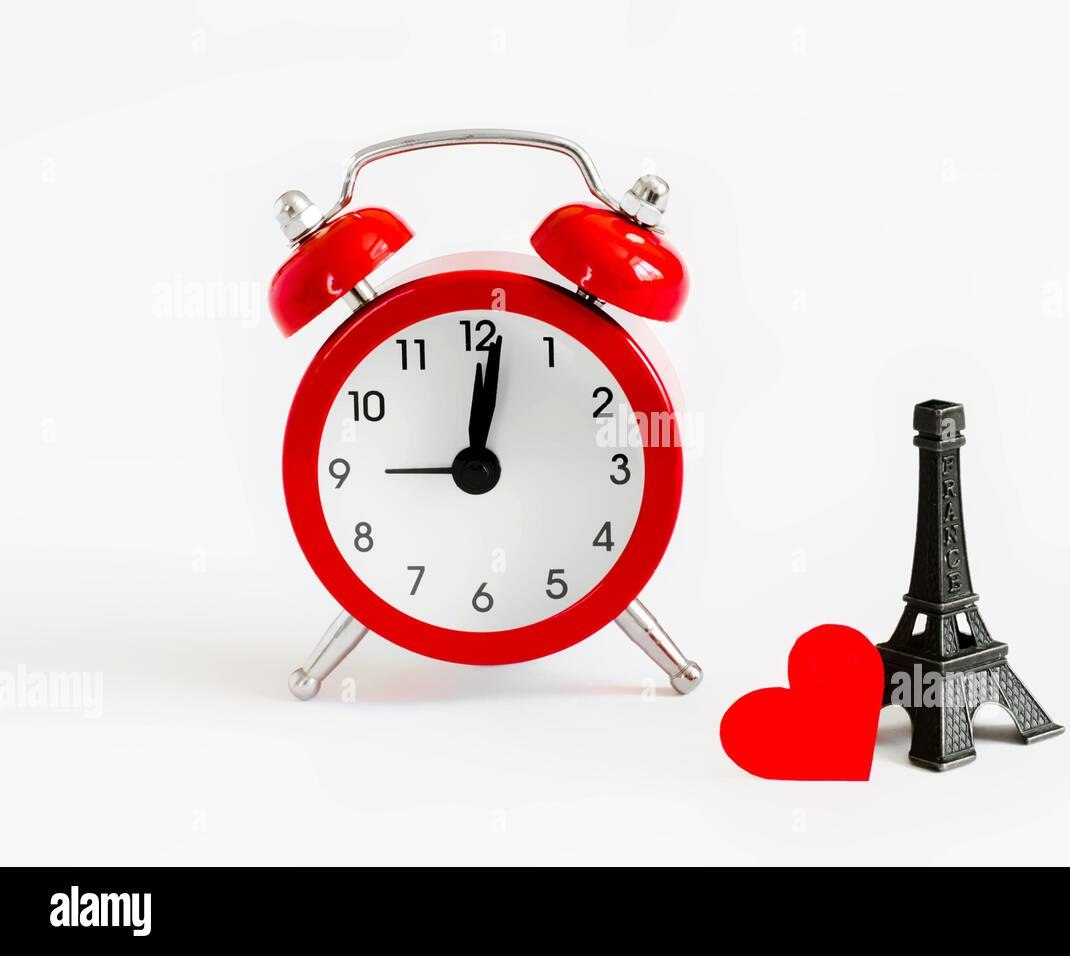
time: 12:01
